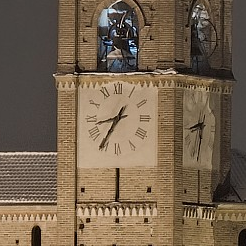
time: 8:35
